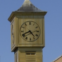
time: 4:41
